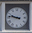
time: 9:46
